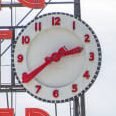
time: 2:39
